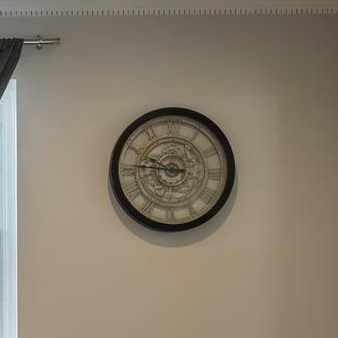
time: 9:45
